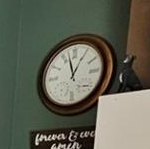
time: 12:57
